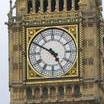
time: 4:49
